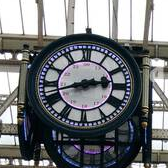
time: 2:42
